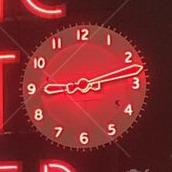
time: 9:12
